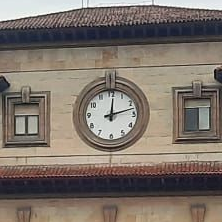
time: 12:12
